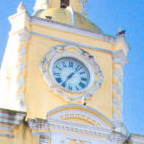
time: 7:07
